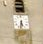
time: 5:31
